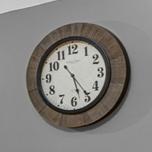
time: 5:23
